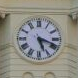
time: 5:18
